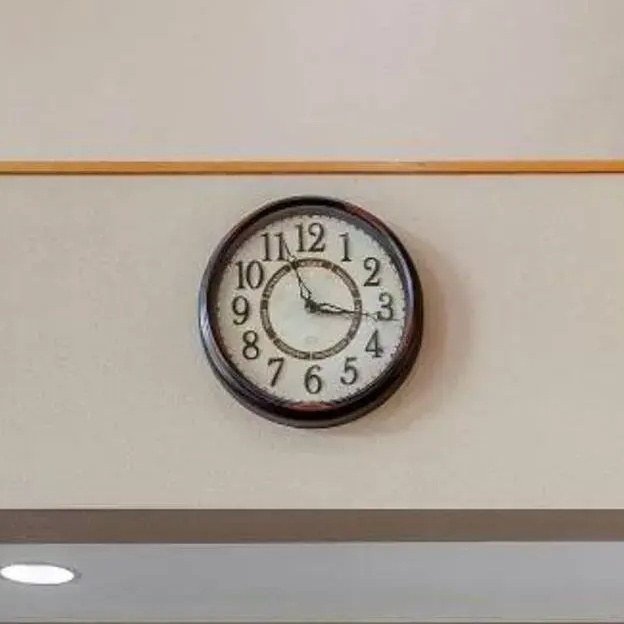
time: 11:16
